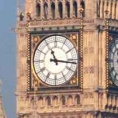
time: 11:16
